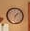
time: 1:32
